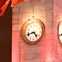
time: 4:42
